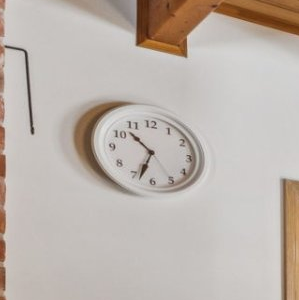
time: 10:33
